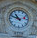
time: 10:48
